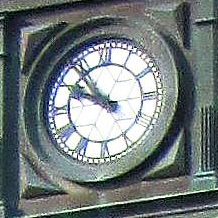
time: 9:54
